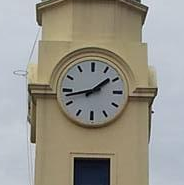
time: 1:42
